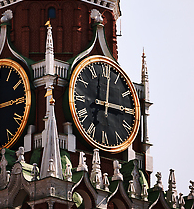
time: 12:14
